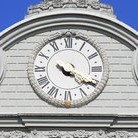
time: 4:20
